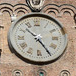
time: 10:24
